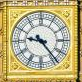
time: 9:23
